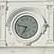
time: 6:47
